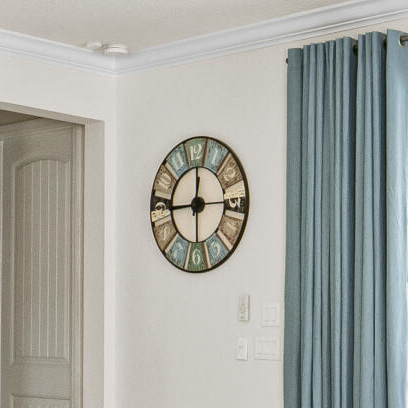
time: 11:44
